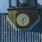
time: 1:28
